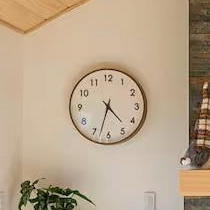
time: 4:32
